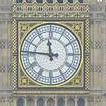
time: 11:46
